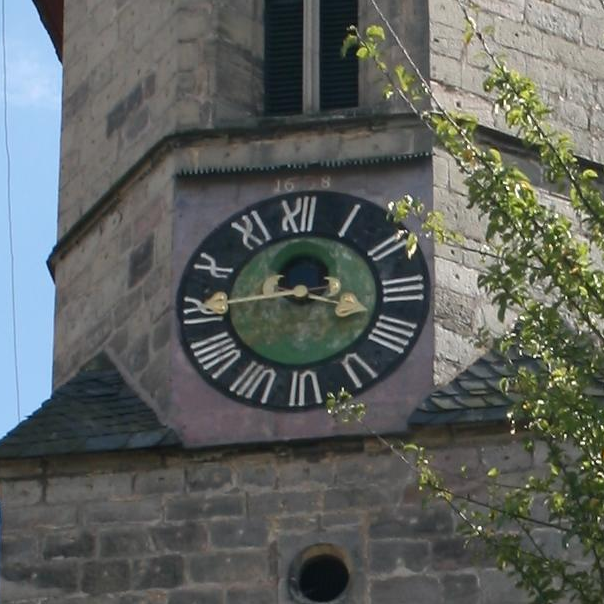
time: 3:45
